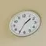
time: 1:34
